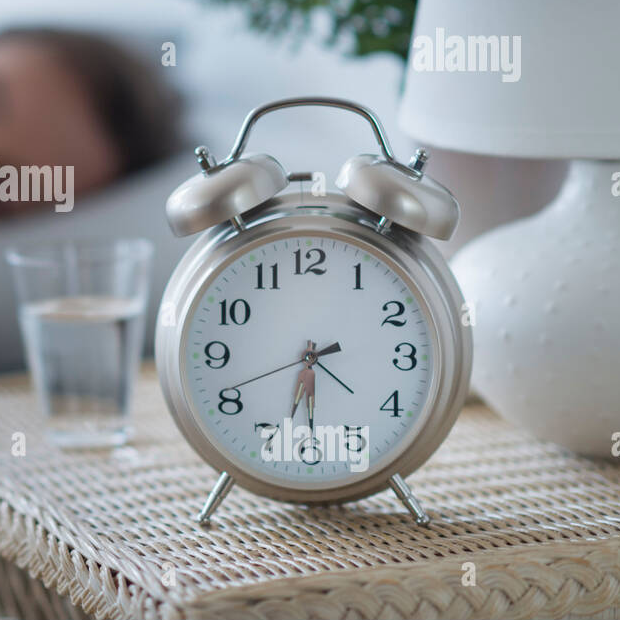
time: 6:29
